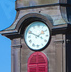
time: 1:48
